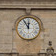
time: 11:54
